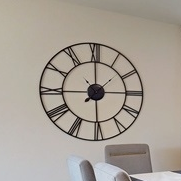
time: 2:00
